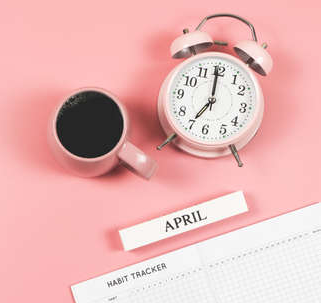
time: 6:59
